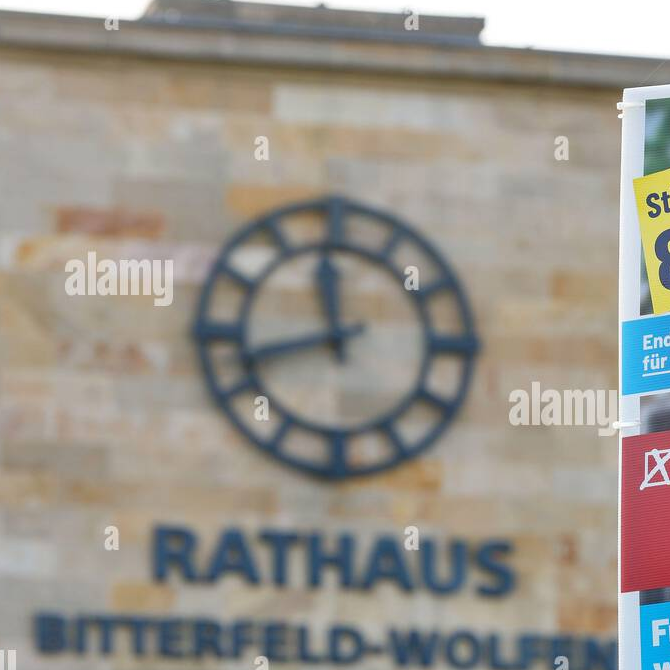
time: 11:42
